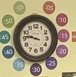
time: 9:46
